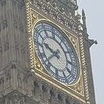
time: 9:38
